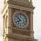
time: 7:51
